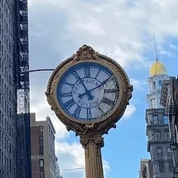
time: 11:10
